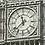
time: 11:37
